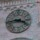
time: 3:43
